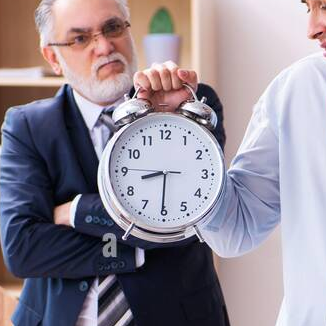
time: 8:30
